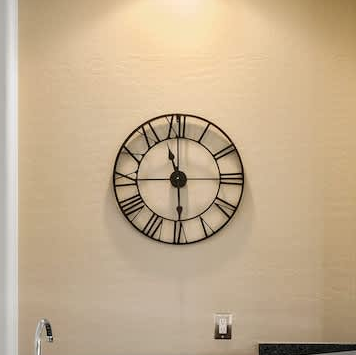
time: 11:29
